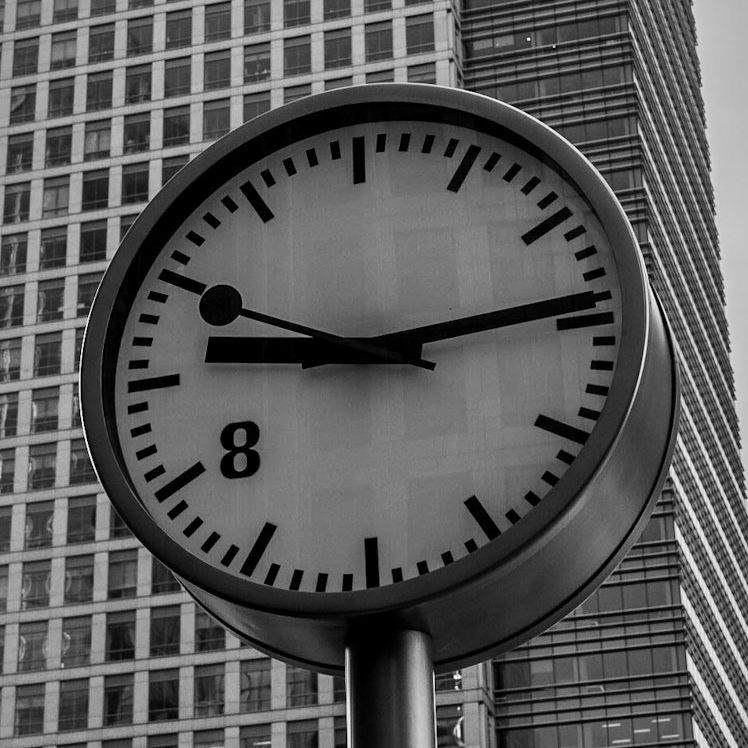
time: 9:14
